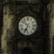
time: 6:52
